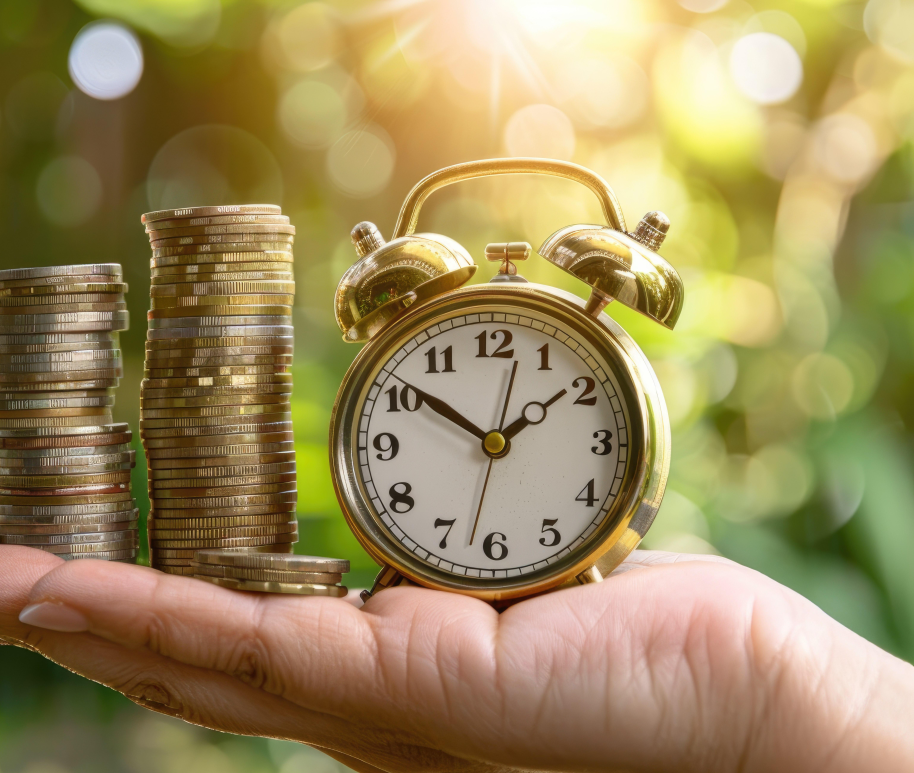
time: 1:50
